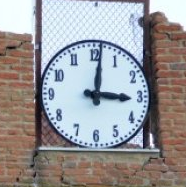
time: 3:01
